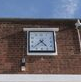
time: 4:38
